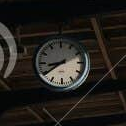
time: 8:39
